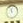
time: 11:32
